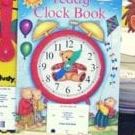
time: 7:16
